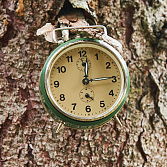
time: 12:14
